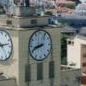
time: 8:41
